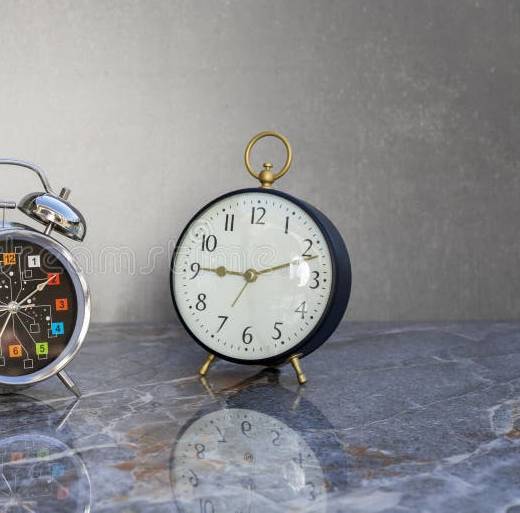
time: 9:11
